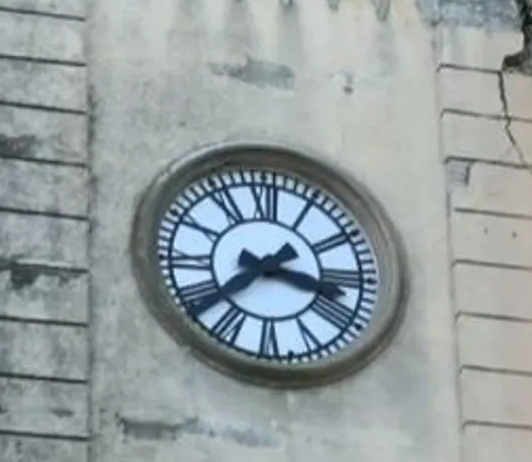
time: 3:38
